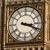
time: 3:18
